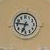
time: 6:46
